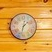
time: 1:32
